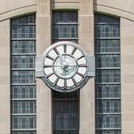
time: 6:14
